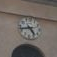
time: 4:42
